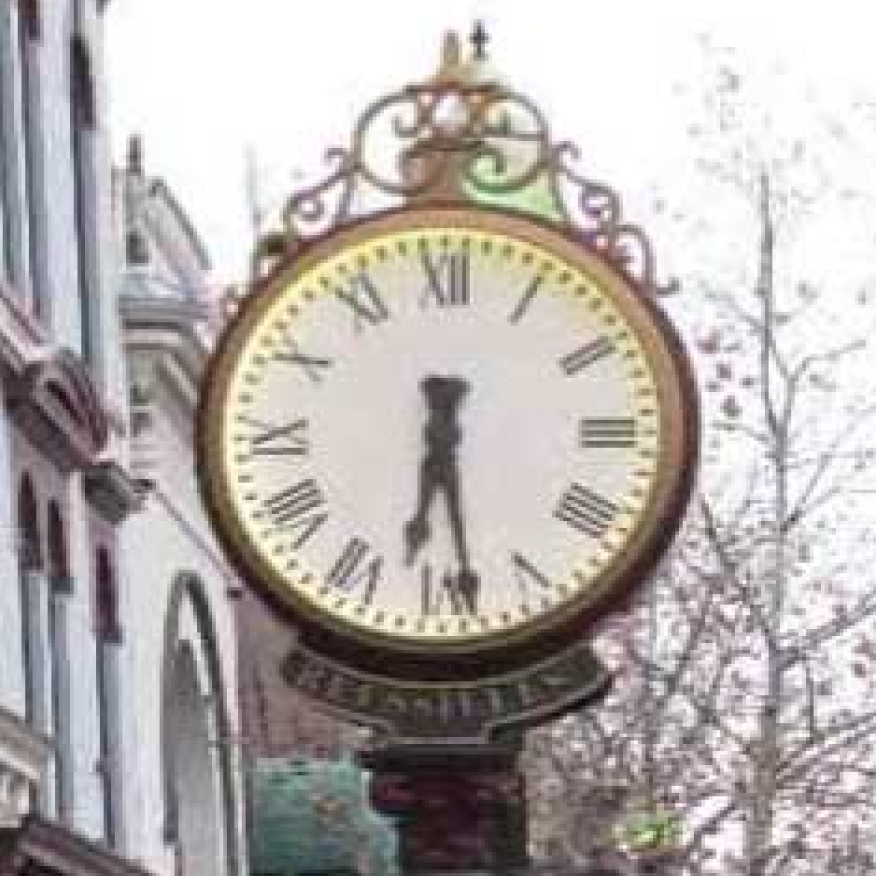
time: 6:28
